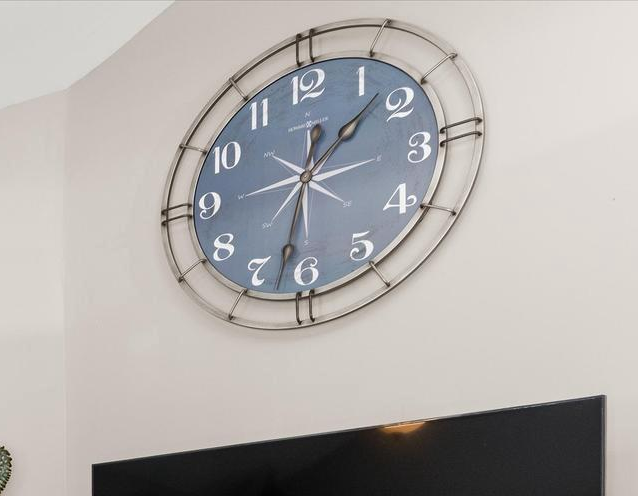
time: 1:32
